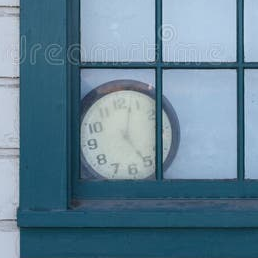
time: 5:03
